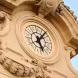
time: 5:07
